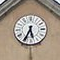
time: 5:34
